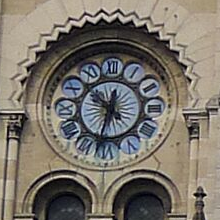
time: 10:32
